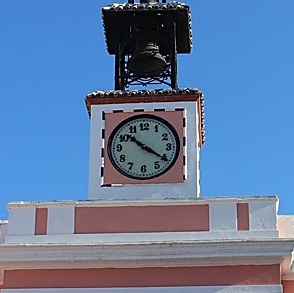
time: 10:20
